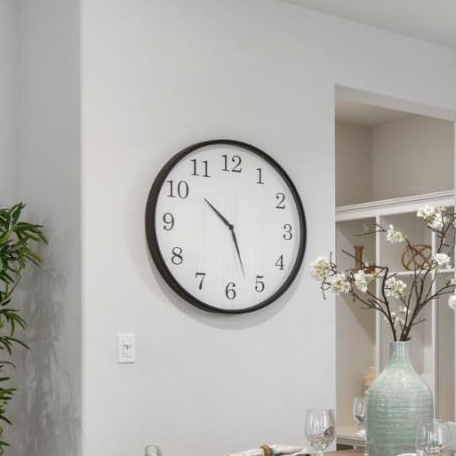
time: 10:26
